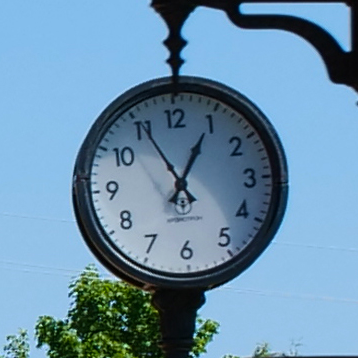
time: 12:55
